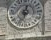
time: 12:34
